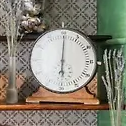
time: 6:00
